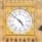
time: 4:52
